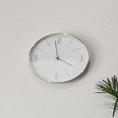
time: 3:58
